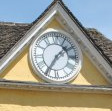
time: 1:35
